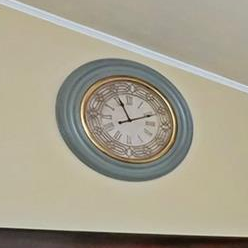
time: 11:10
